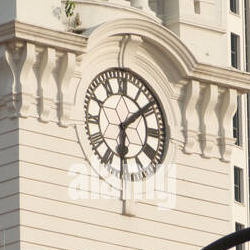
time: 6:08
